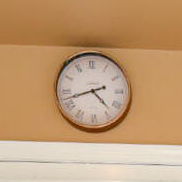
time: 4:42
